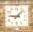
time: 9:07
